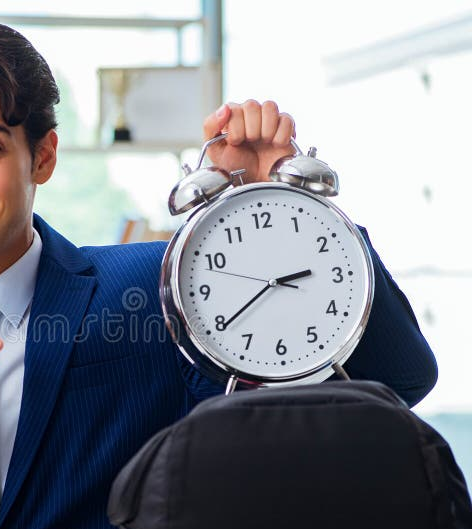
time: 2:39
